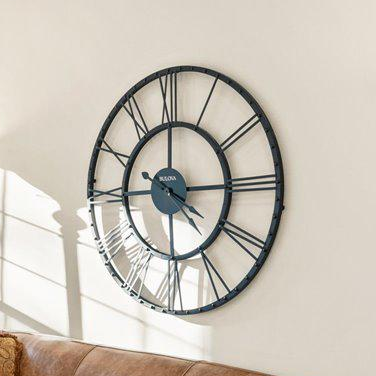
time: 4:14
